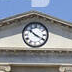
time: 10:19
